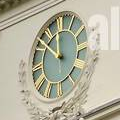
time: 11:51
